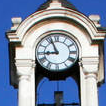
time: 8:56
